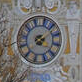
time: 4:09
